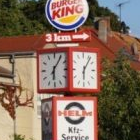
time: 6:06
